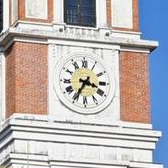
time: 3:34
